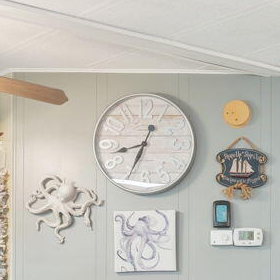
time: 8:34
